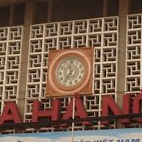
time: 11:36
